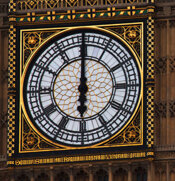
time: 5:59
